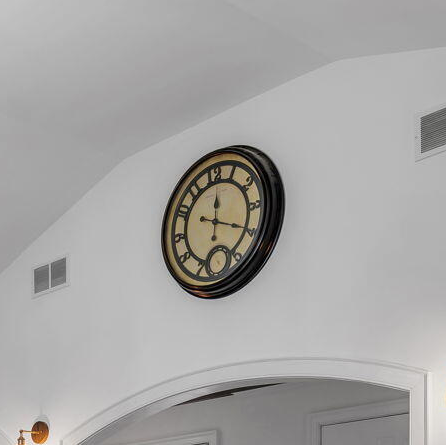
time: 12:19
